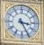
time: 3:25
